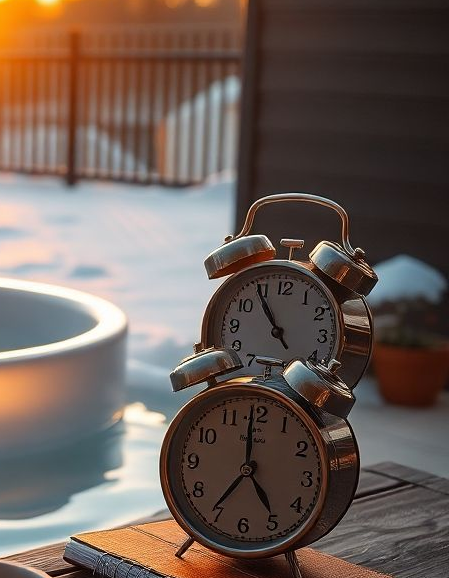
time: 10:54
